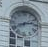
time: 2:40
